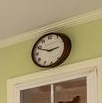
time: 2:49
